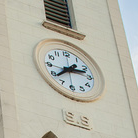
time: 2:38
